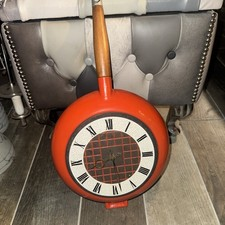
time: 6:14
